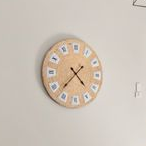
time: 4:37
